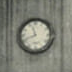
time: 11:41
